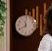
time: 11:39
